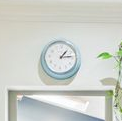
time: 1:13
